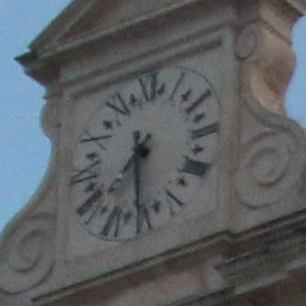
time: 7:30
